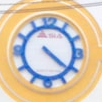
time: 4:20
